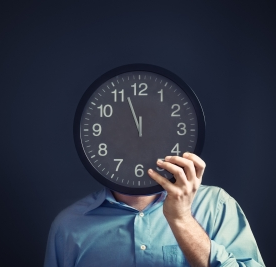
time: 11:56
